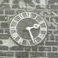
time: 2:26
